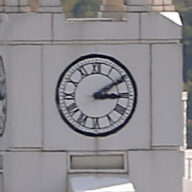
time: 3:09
